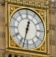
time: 12:32
